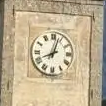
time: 8:03
